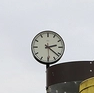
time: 2:21
